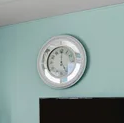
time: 5:00
